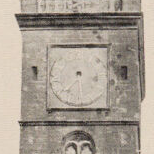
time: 7:29
